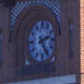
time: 2:24
